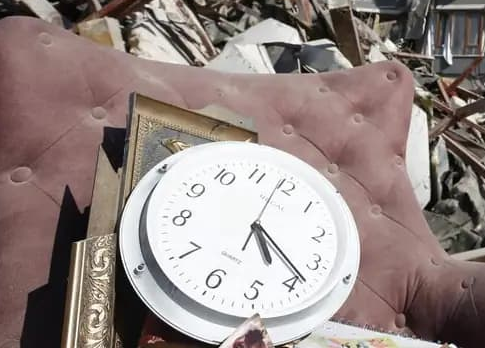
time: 5:23
